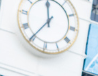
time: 11:35
